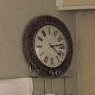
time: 4:13
